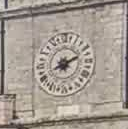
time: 8:11
